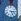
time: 5:15
